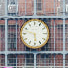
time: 5:47
